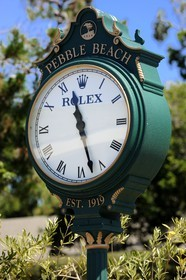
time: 11:27
